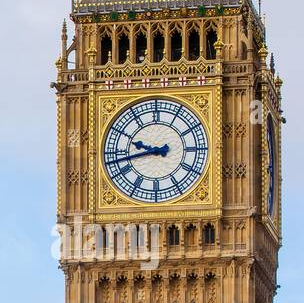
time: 9:42
